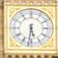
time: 5:31
